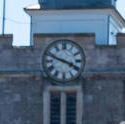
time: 3:48
